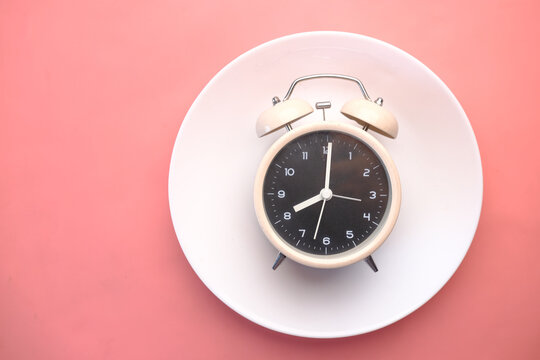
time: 8:00
